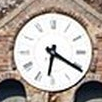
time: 6:20
